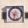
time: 8:32
